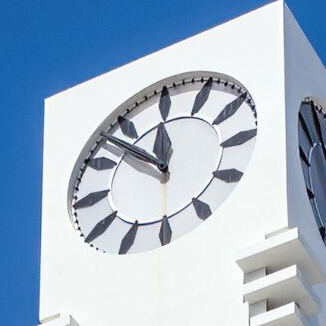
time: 11:52
